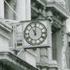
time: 11:00
